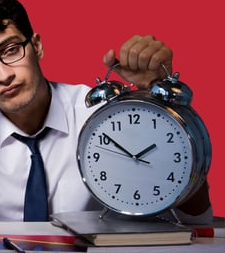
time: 1:51
